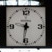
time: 6:31
